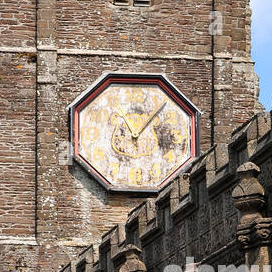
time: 11:07
